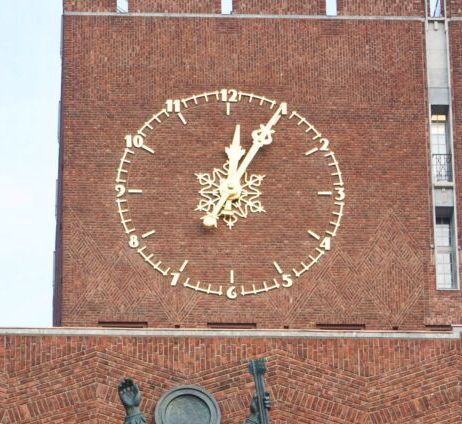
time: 12:04
